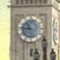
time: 10:45
